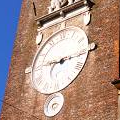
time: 9:15
